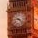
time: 9:22
